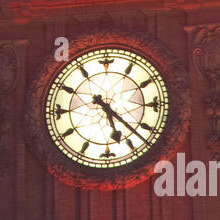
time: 5:22
